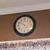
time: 10:22
